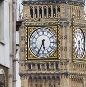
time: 5:34
